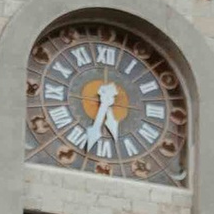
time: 5:32
